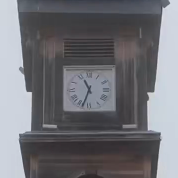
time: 11:33
